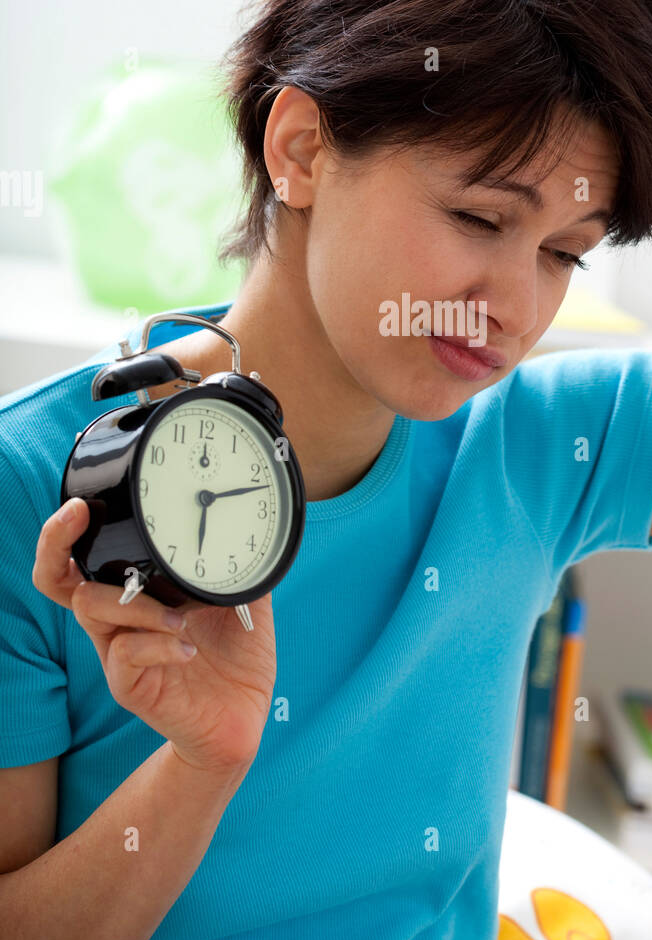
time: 6:12
